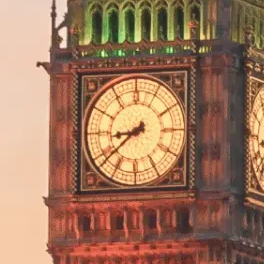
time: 8:38
